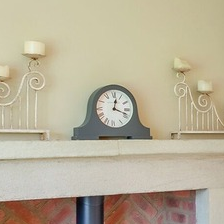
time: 12:18
